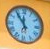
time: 11:54
